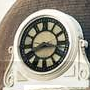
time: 8:16
